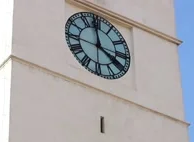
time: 3:58
